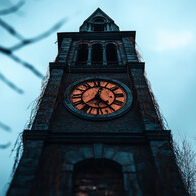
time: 12:23
